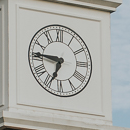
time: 6:45
